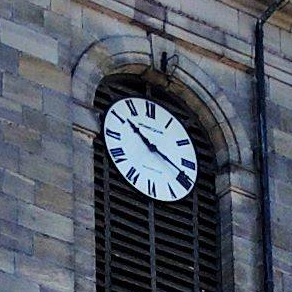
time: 10:18
